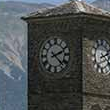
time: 2:22
